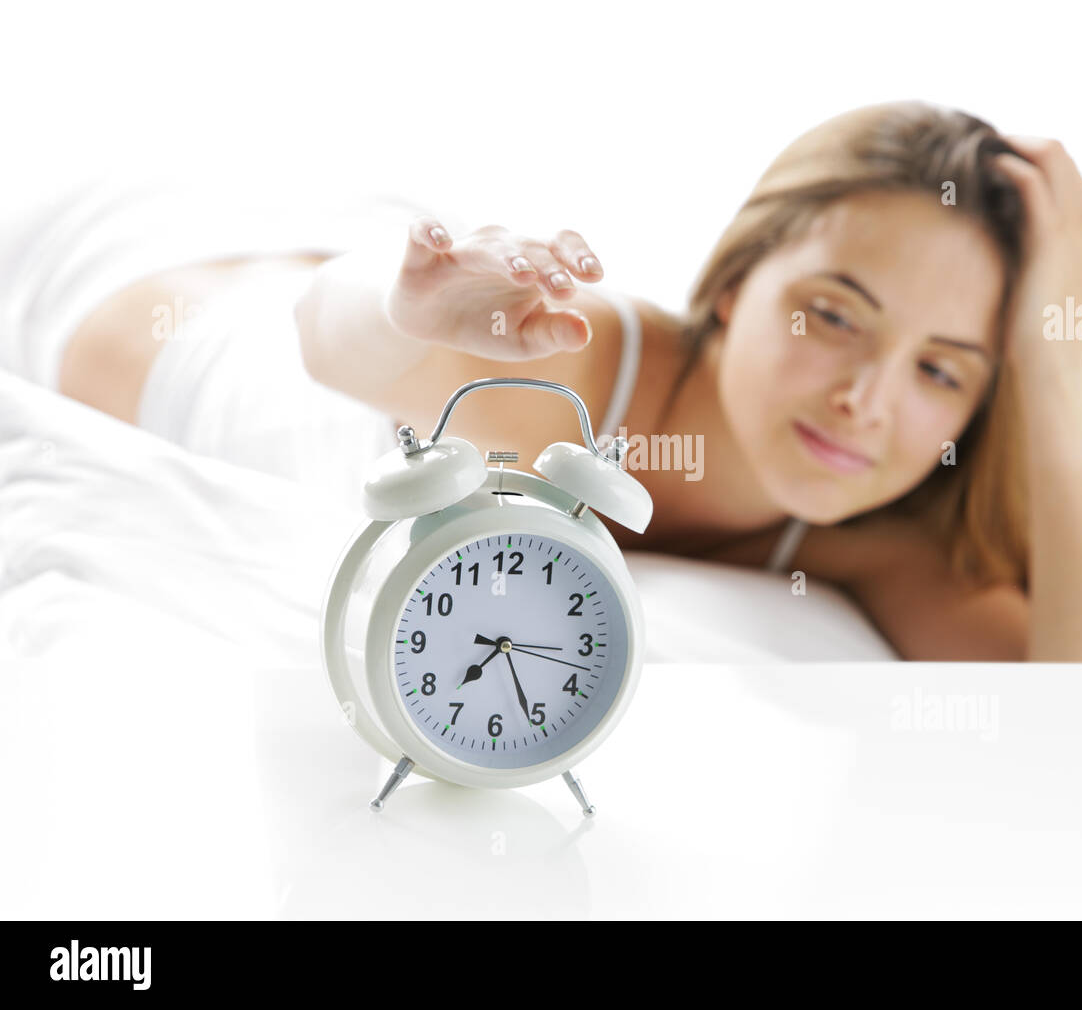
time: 7:16
